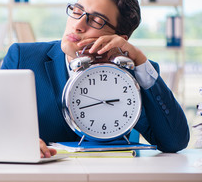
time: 2:42
